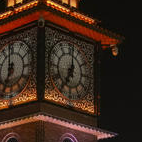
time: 7:00
